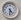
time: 4:31
